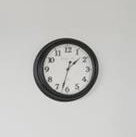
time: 1:32
